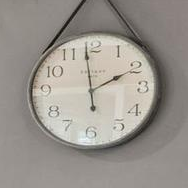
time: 1:58
